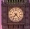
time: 7:23
